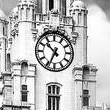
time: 10:34
